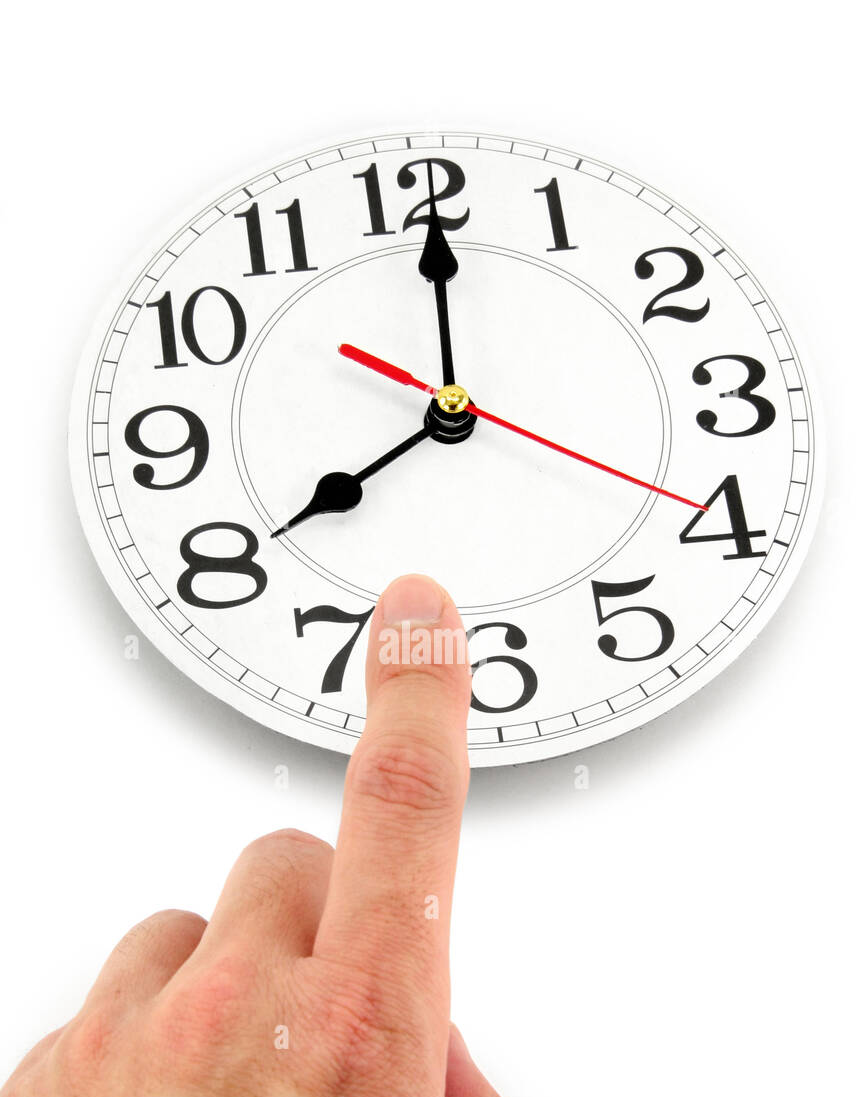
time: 8:00
